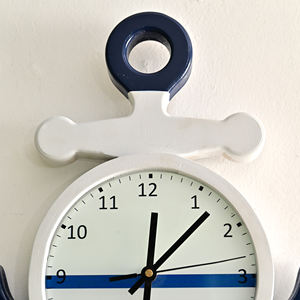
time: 12:07
